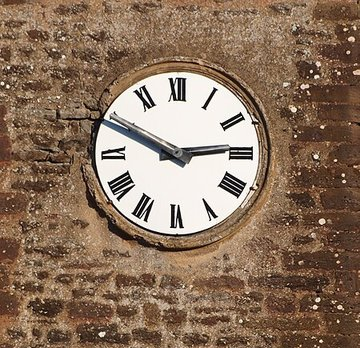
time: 2:48
